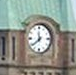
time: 11:38
